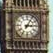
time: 3:05
